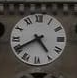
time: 4:40
